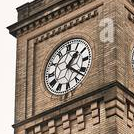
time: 1:21
